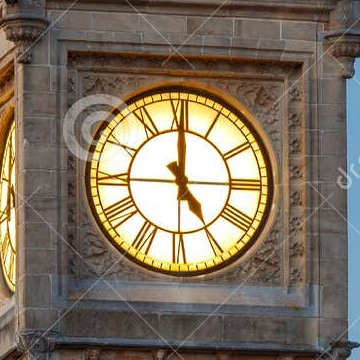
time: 4:59
